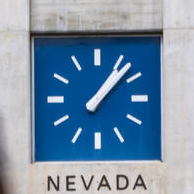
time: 1:07
